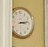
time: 3:13
